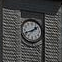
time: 1:41
